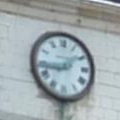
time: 1:43
